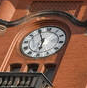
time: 5:55
